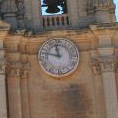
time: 11:46
